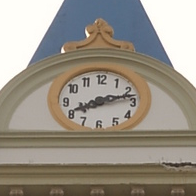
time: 8:12
